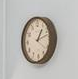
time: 1:12
